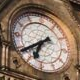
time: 6:39
